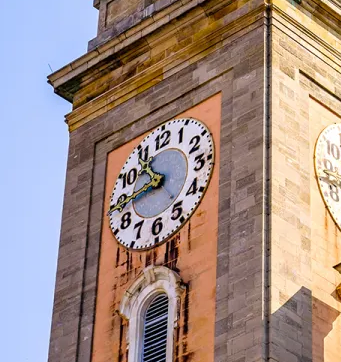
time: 10:43
